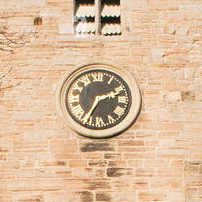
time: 2:33
